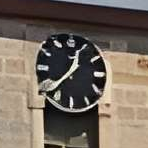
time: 12:37
